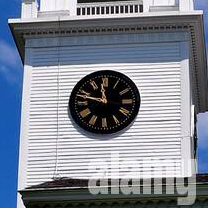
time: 11:47
